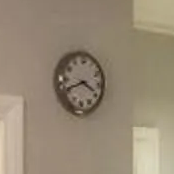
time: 3:40
